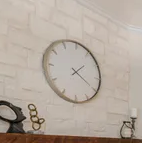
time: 1:20
